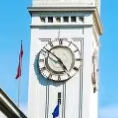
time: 4:51
